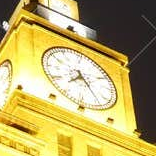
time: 7:24
